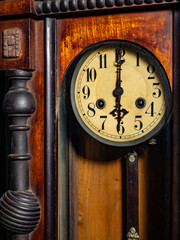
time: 6:00
